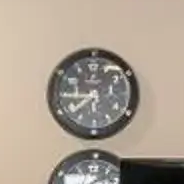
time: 7:44
